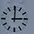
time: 3:00
